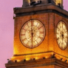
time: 5:59
